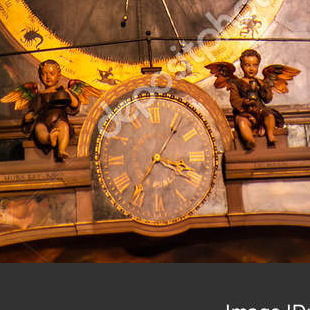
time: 3:36
